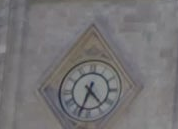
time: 4:33
